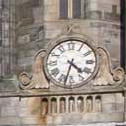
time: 4:32
